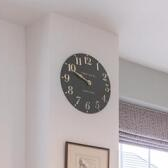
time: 9:48
